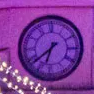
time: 6:38
